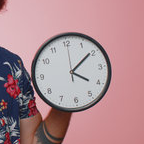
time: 4:09
